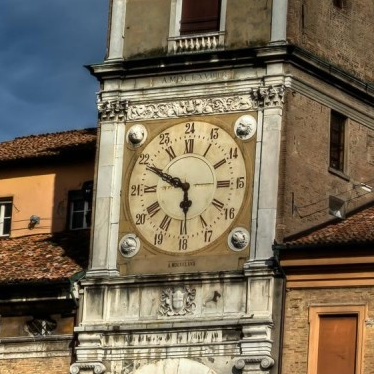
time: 5:49
